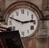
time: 2:48
